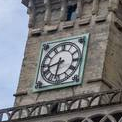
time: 8:32
